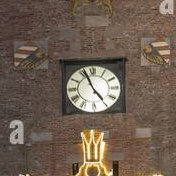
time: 4:56
